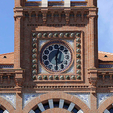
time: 6:03
